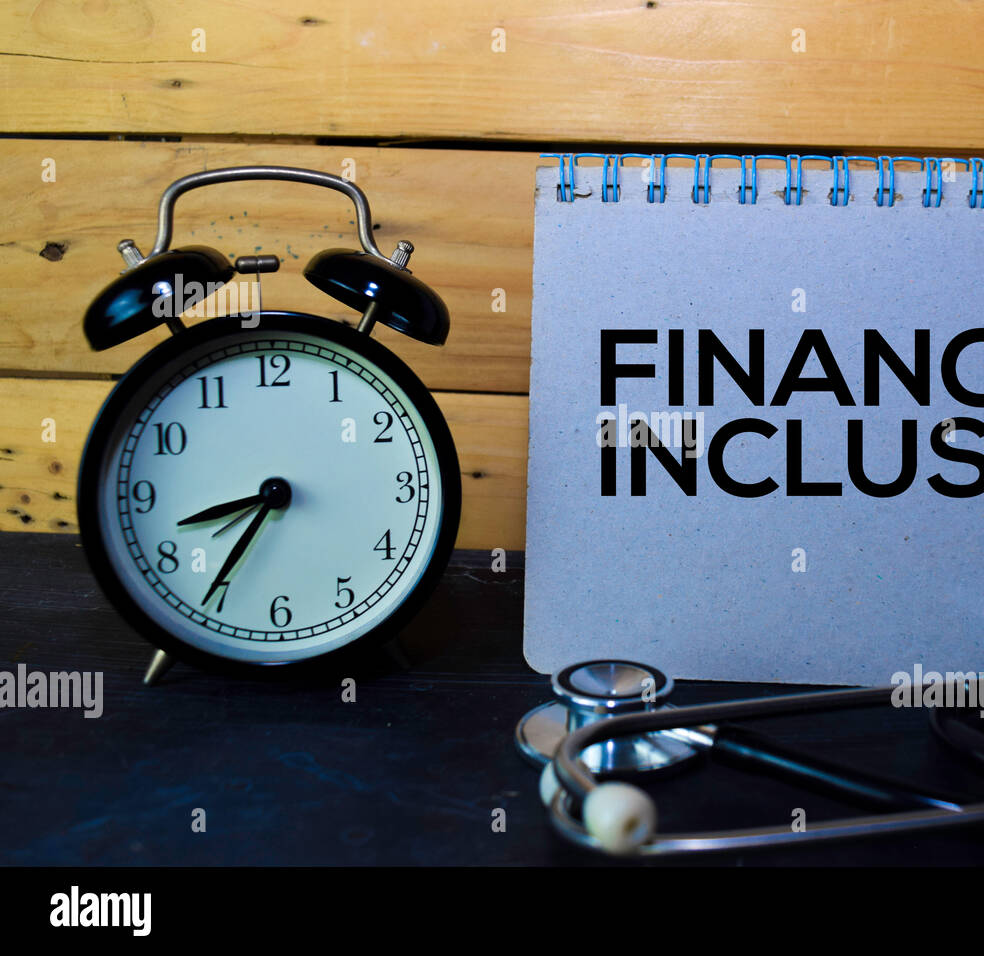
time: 8:35
